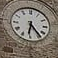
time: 6:23
